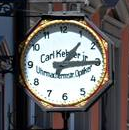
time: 1:14
